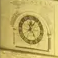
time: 12:24
